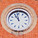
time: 10:58
